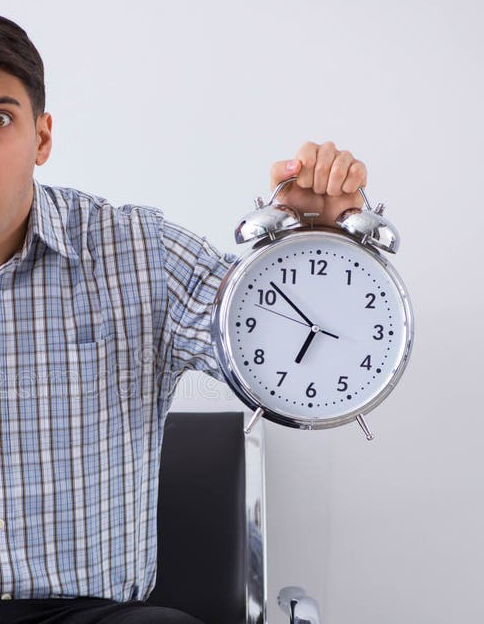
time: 6:52
